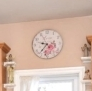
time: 9:36
